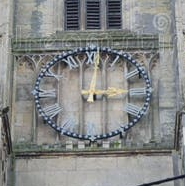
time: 3:01
